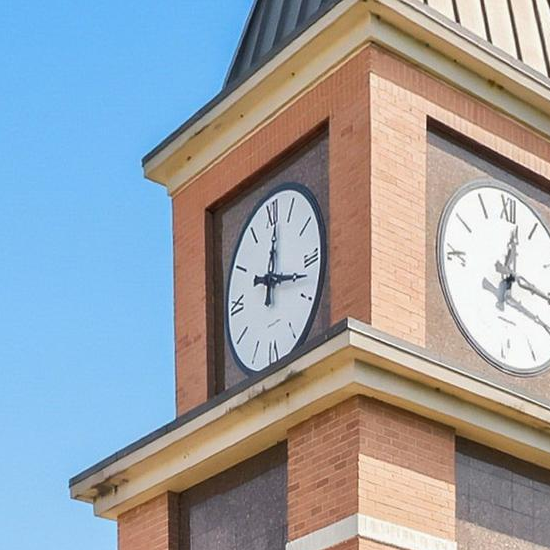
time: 12:17
